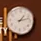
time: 1:12
